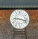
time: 9:17
